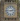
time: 2:45
